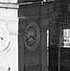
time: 3:40
